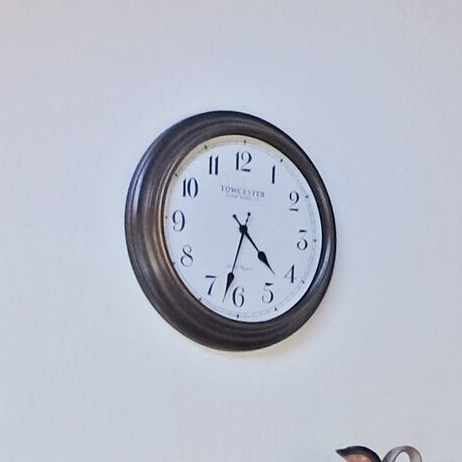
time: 4:32
